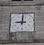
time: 9:00
